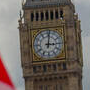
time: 3:01
